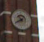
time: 10:40
